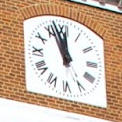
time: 11:56
